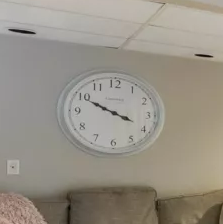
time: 3:49
